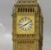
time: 8:09
